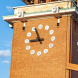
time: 8:56
